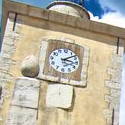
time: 3:09
